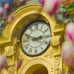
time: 2:48
